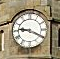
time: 9:19
